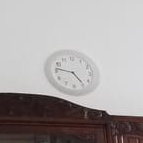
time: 4:46
